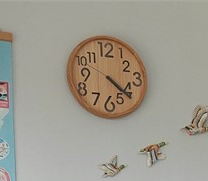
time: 4:21
